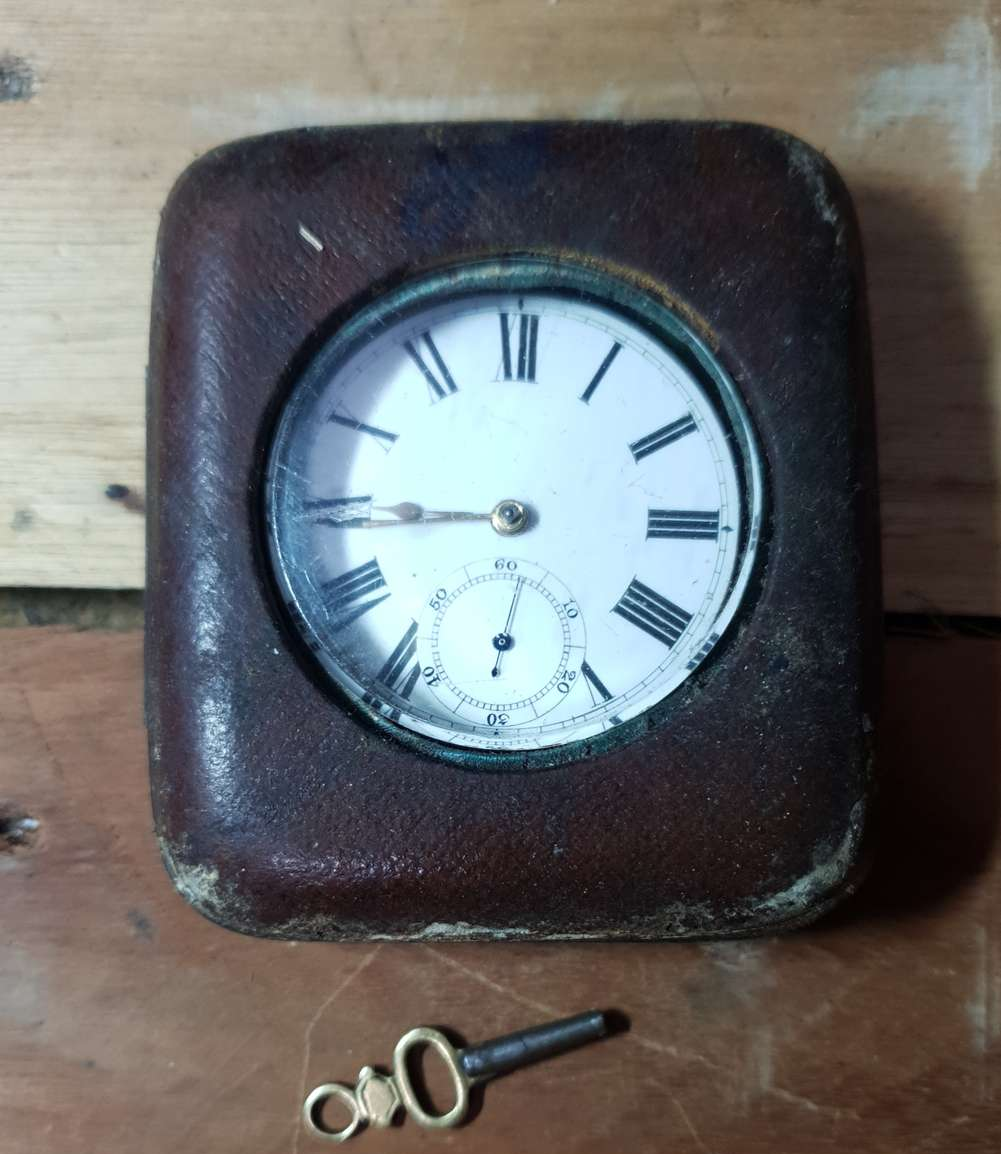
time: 8:44
